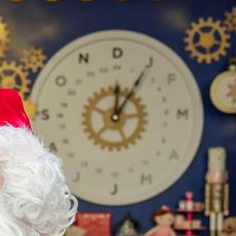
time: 12:05
